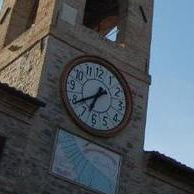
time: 6:39
